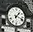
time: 1:18
